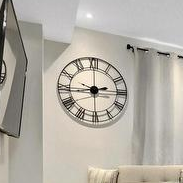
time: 2:43
